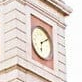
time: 6:10
